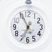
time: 6:55
